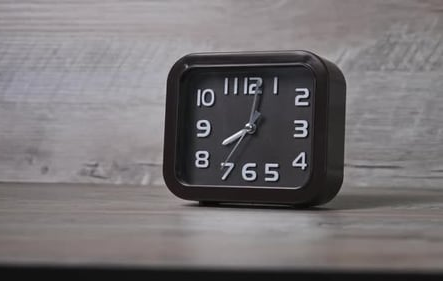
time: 8:02
